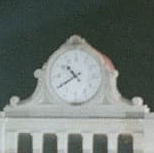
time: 10:39
